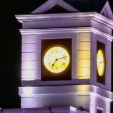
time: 7:12
